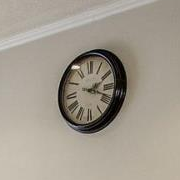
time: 2:18
